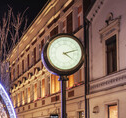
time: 4:12
